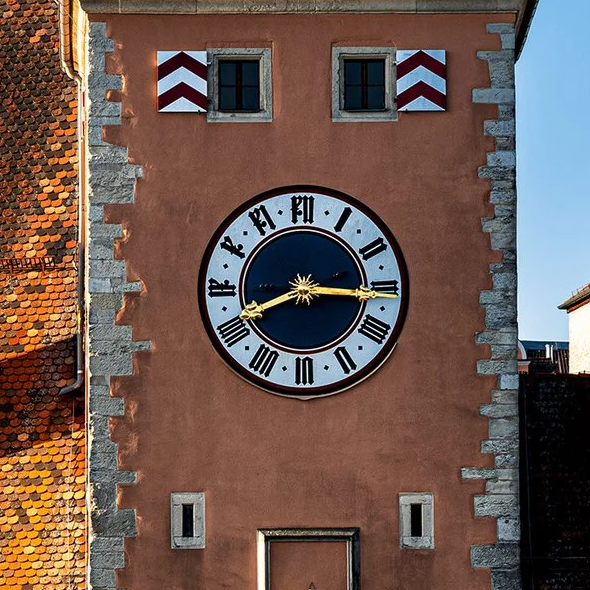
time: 8:15
